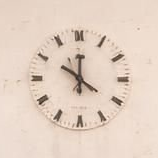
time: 10:00
